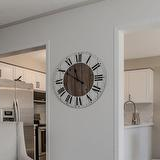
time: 11:50
